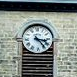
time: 3:23
